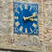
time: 3:12
